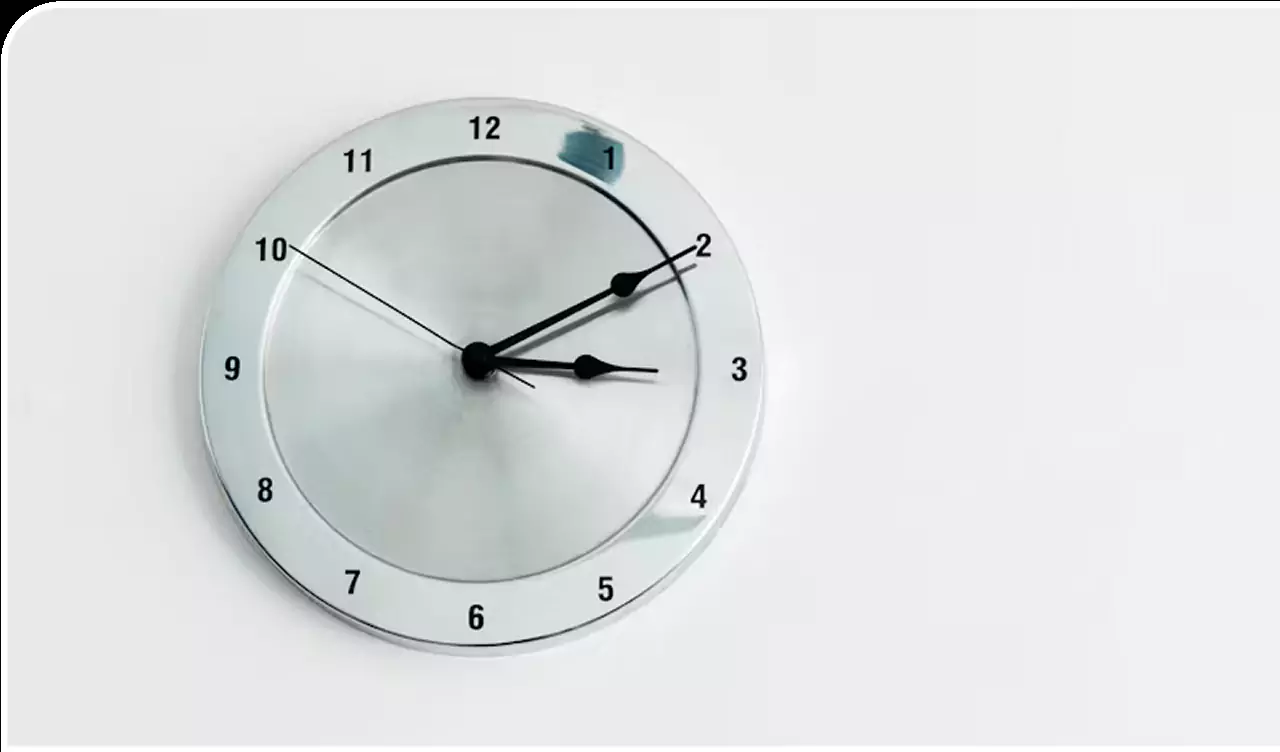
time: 3:10
